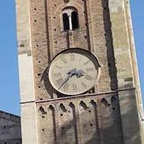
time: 3:37
